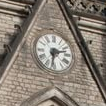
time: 2:31
